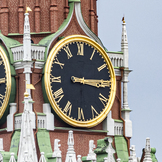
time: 3:14
